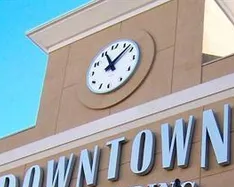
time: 11:08
